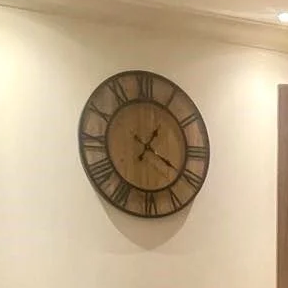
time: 1:20
